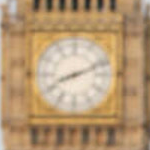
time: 8:11
